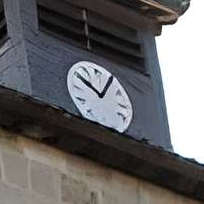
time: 10:05
